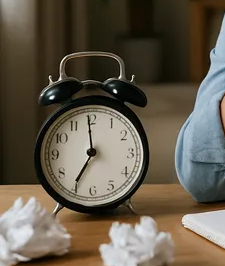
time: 6:59
